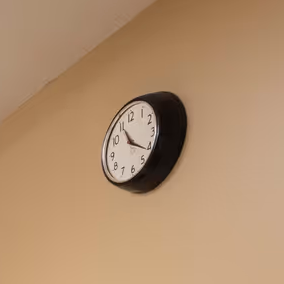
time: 11:21
